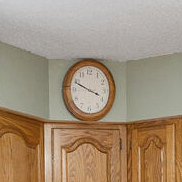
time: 3:48
